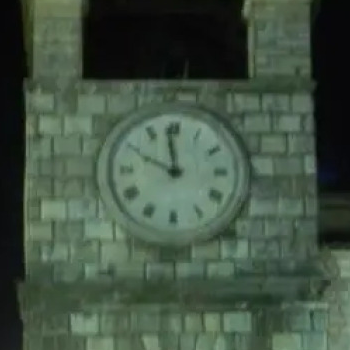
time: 9:58
